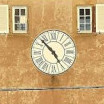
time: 4:52
